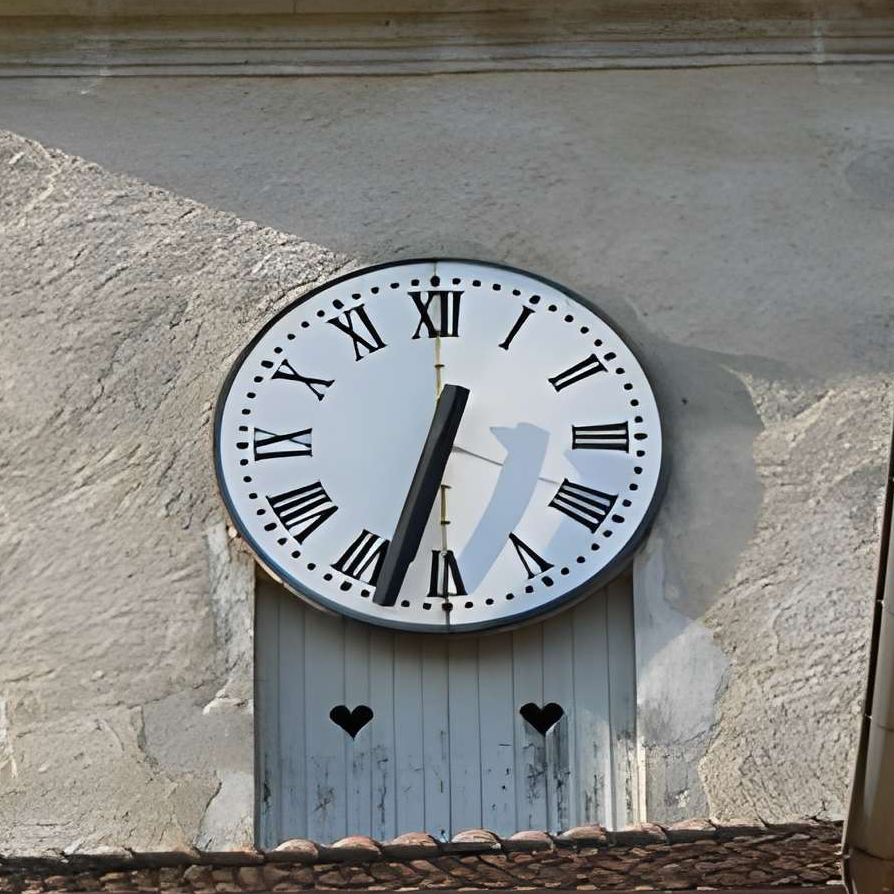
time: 6:32
